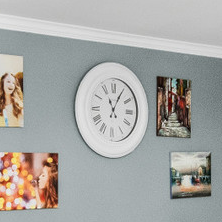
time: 11:05
